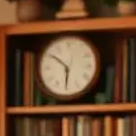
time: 5:51
